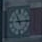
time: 11:14
